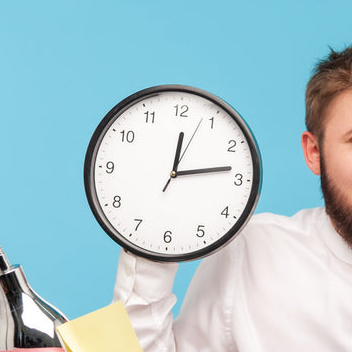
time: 12:13
